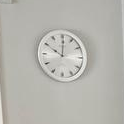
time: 10:00
